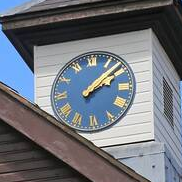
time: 2:08
